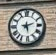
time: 2:28
